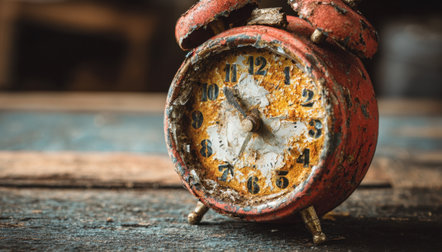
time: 10:34
